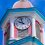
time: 9:57
